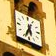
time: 5:33
